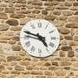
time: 4:48
